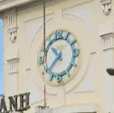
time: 10:38
